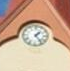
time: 1:23
